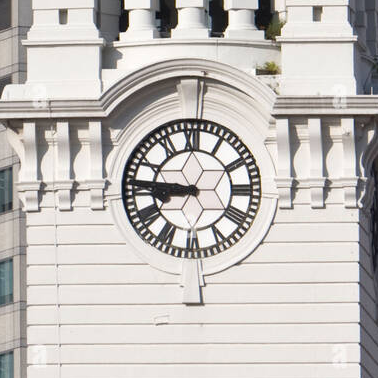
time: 8:45
